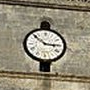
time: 2:52
